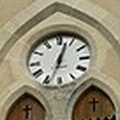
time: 12:33
